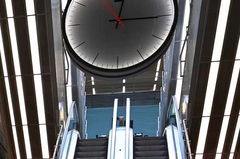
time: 12:14
